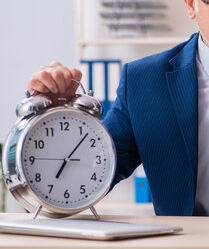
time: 7:07
